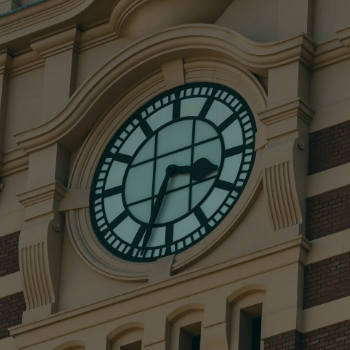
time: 3:33
